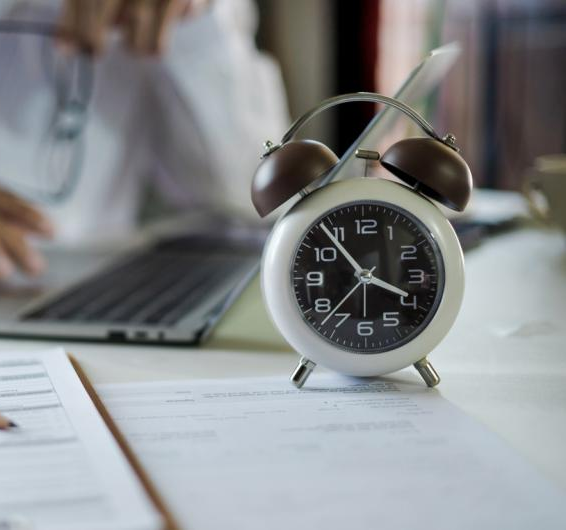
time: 3:53
